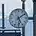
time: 5:08
